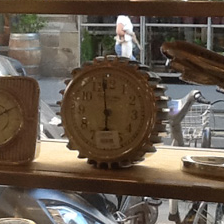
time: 5:59
